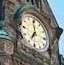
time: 6:58
